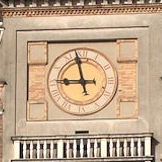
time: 8:57
